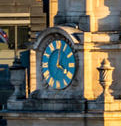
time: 4:01
